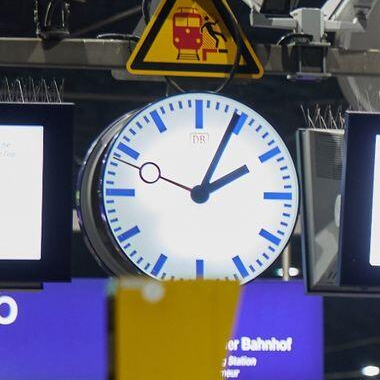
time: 2:04
